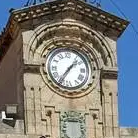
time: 1:36
